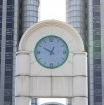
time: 12:49
